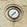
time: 7:37
